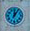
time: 12:05
